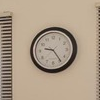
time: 9:23
